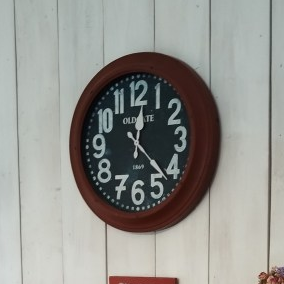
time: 12:22
